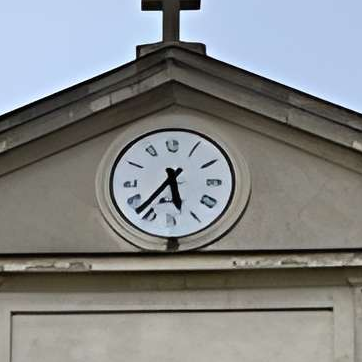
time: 5:36
